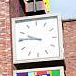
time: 9:45
